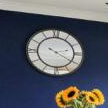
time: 2:20
